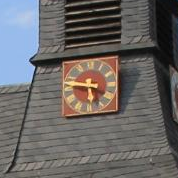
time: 5:46
